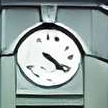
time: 4:20
